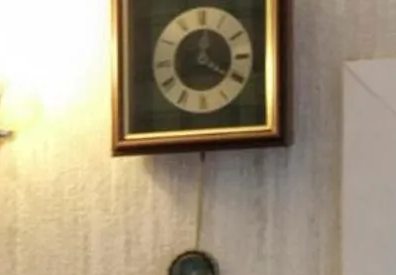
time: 12:20
